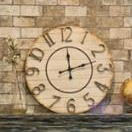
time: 12:12
